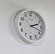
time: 2:17
